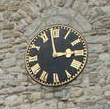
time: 2:58
